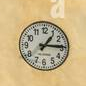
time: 1:14
